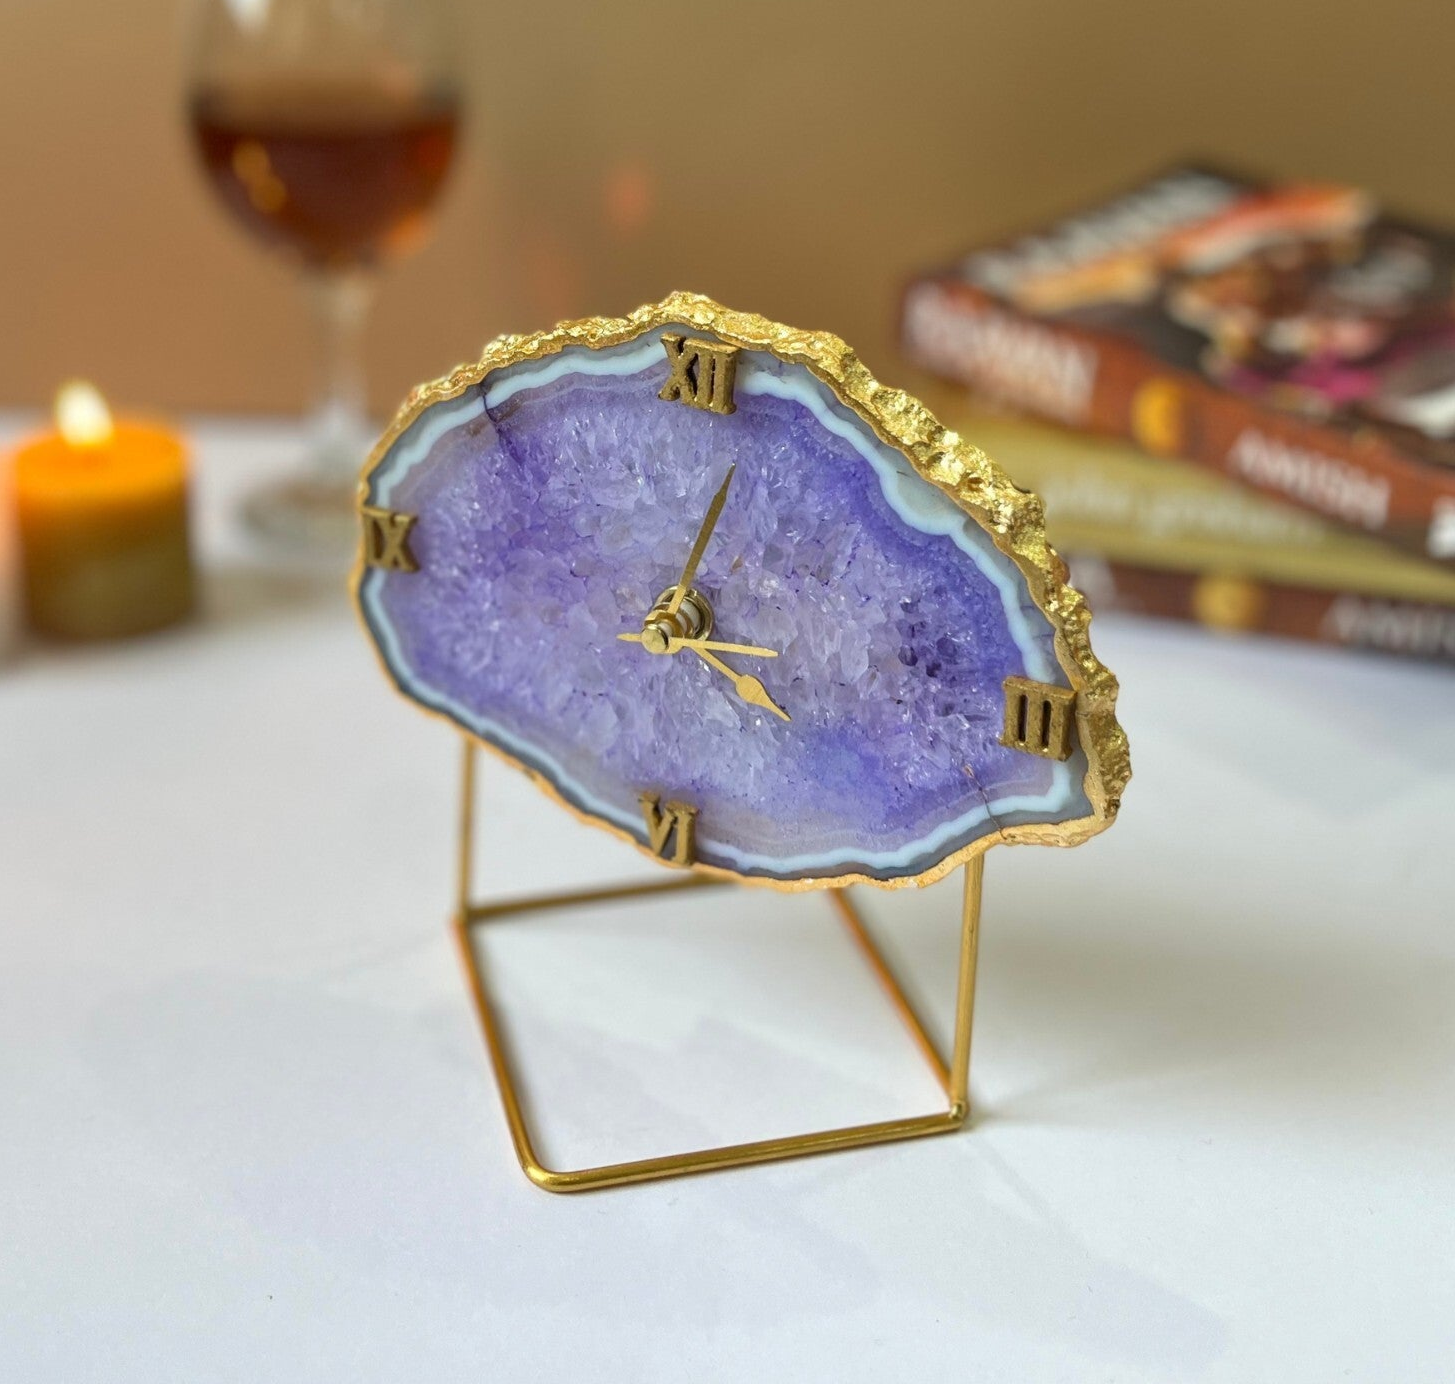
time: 4:02
